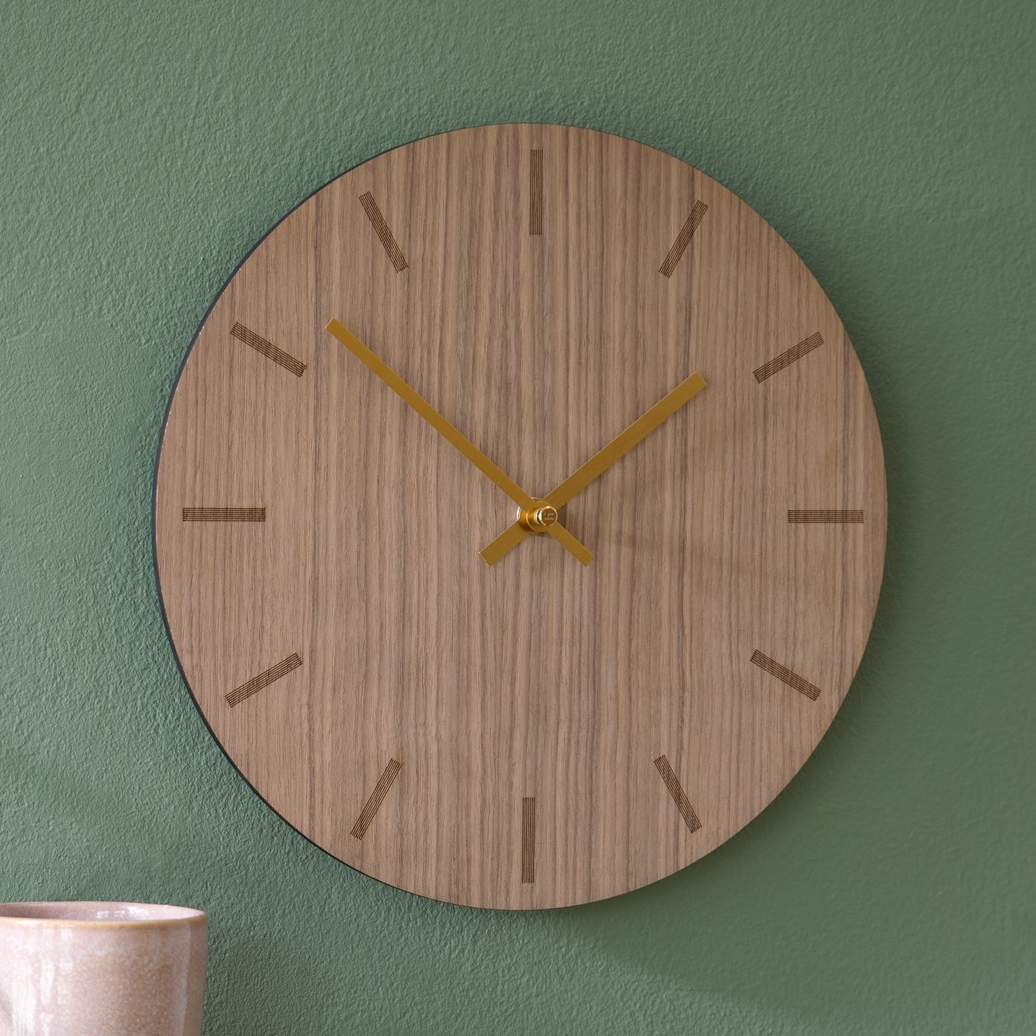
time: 1:51
